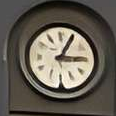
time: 3:04
